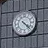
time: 4:22
